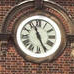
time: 11:25
